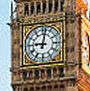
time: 9:01
